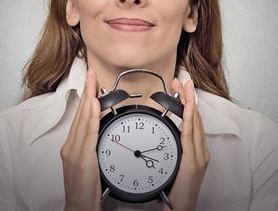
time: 4:11
